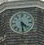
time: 4:29
